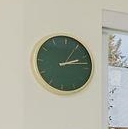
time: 2:13
